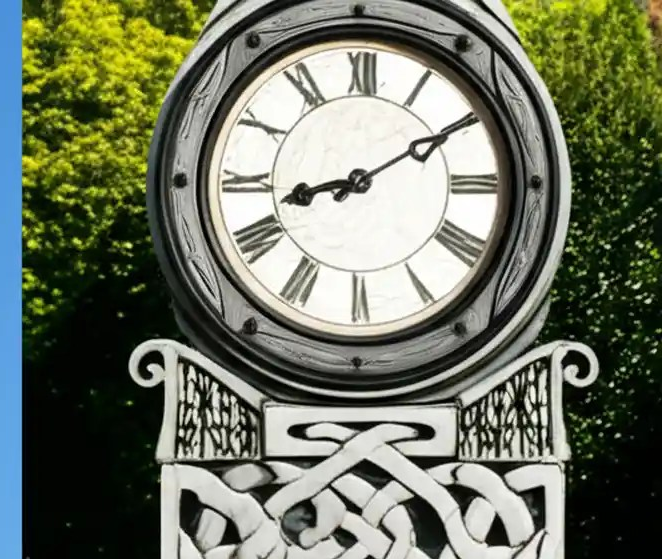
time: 8:09
